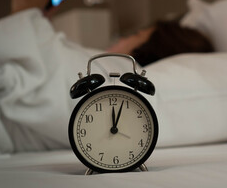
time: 12:03
